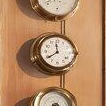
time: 11:39
